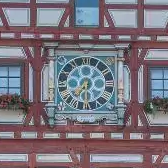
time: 7:30
